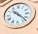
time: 10:22
